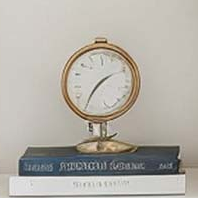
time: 1:35
